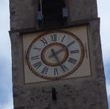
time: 2:26
